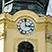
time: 2:59
